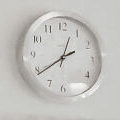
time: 12:39
